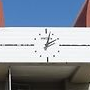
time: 2:02
